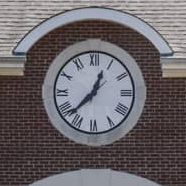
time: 12:37
